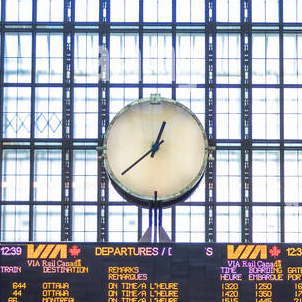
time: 12:37
